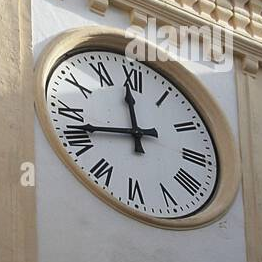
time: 11:42
